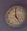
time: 4:59
